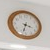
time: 3:32
